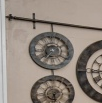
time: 7:18
